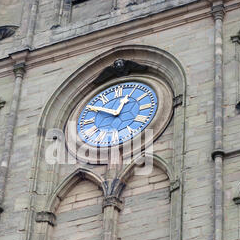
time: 12:50
